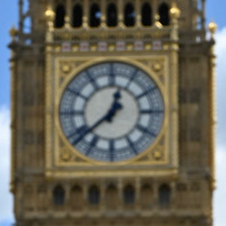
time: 12:38
